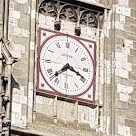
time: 7:18
